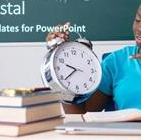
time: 9:38
